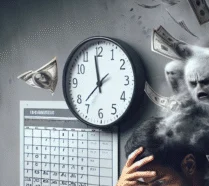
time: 11:37
